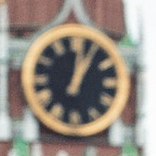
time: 1:02
